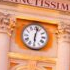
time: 6:02
